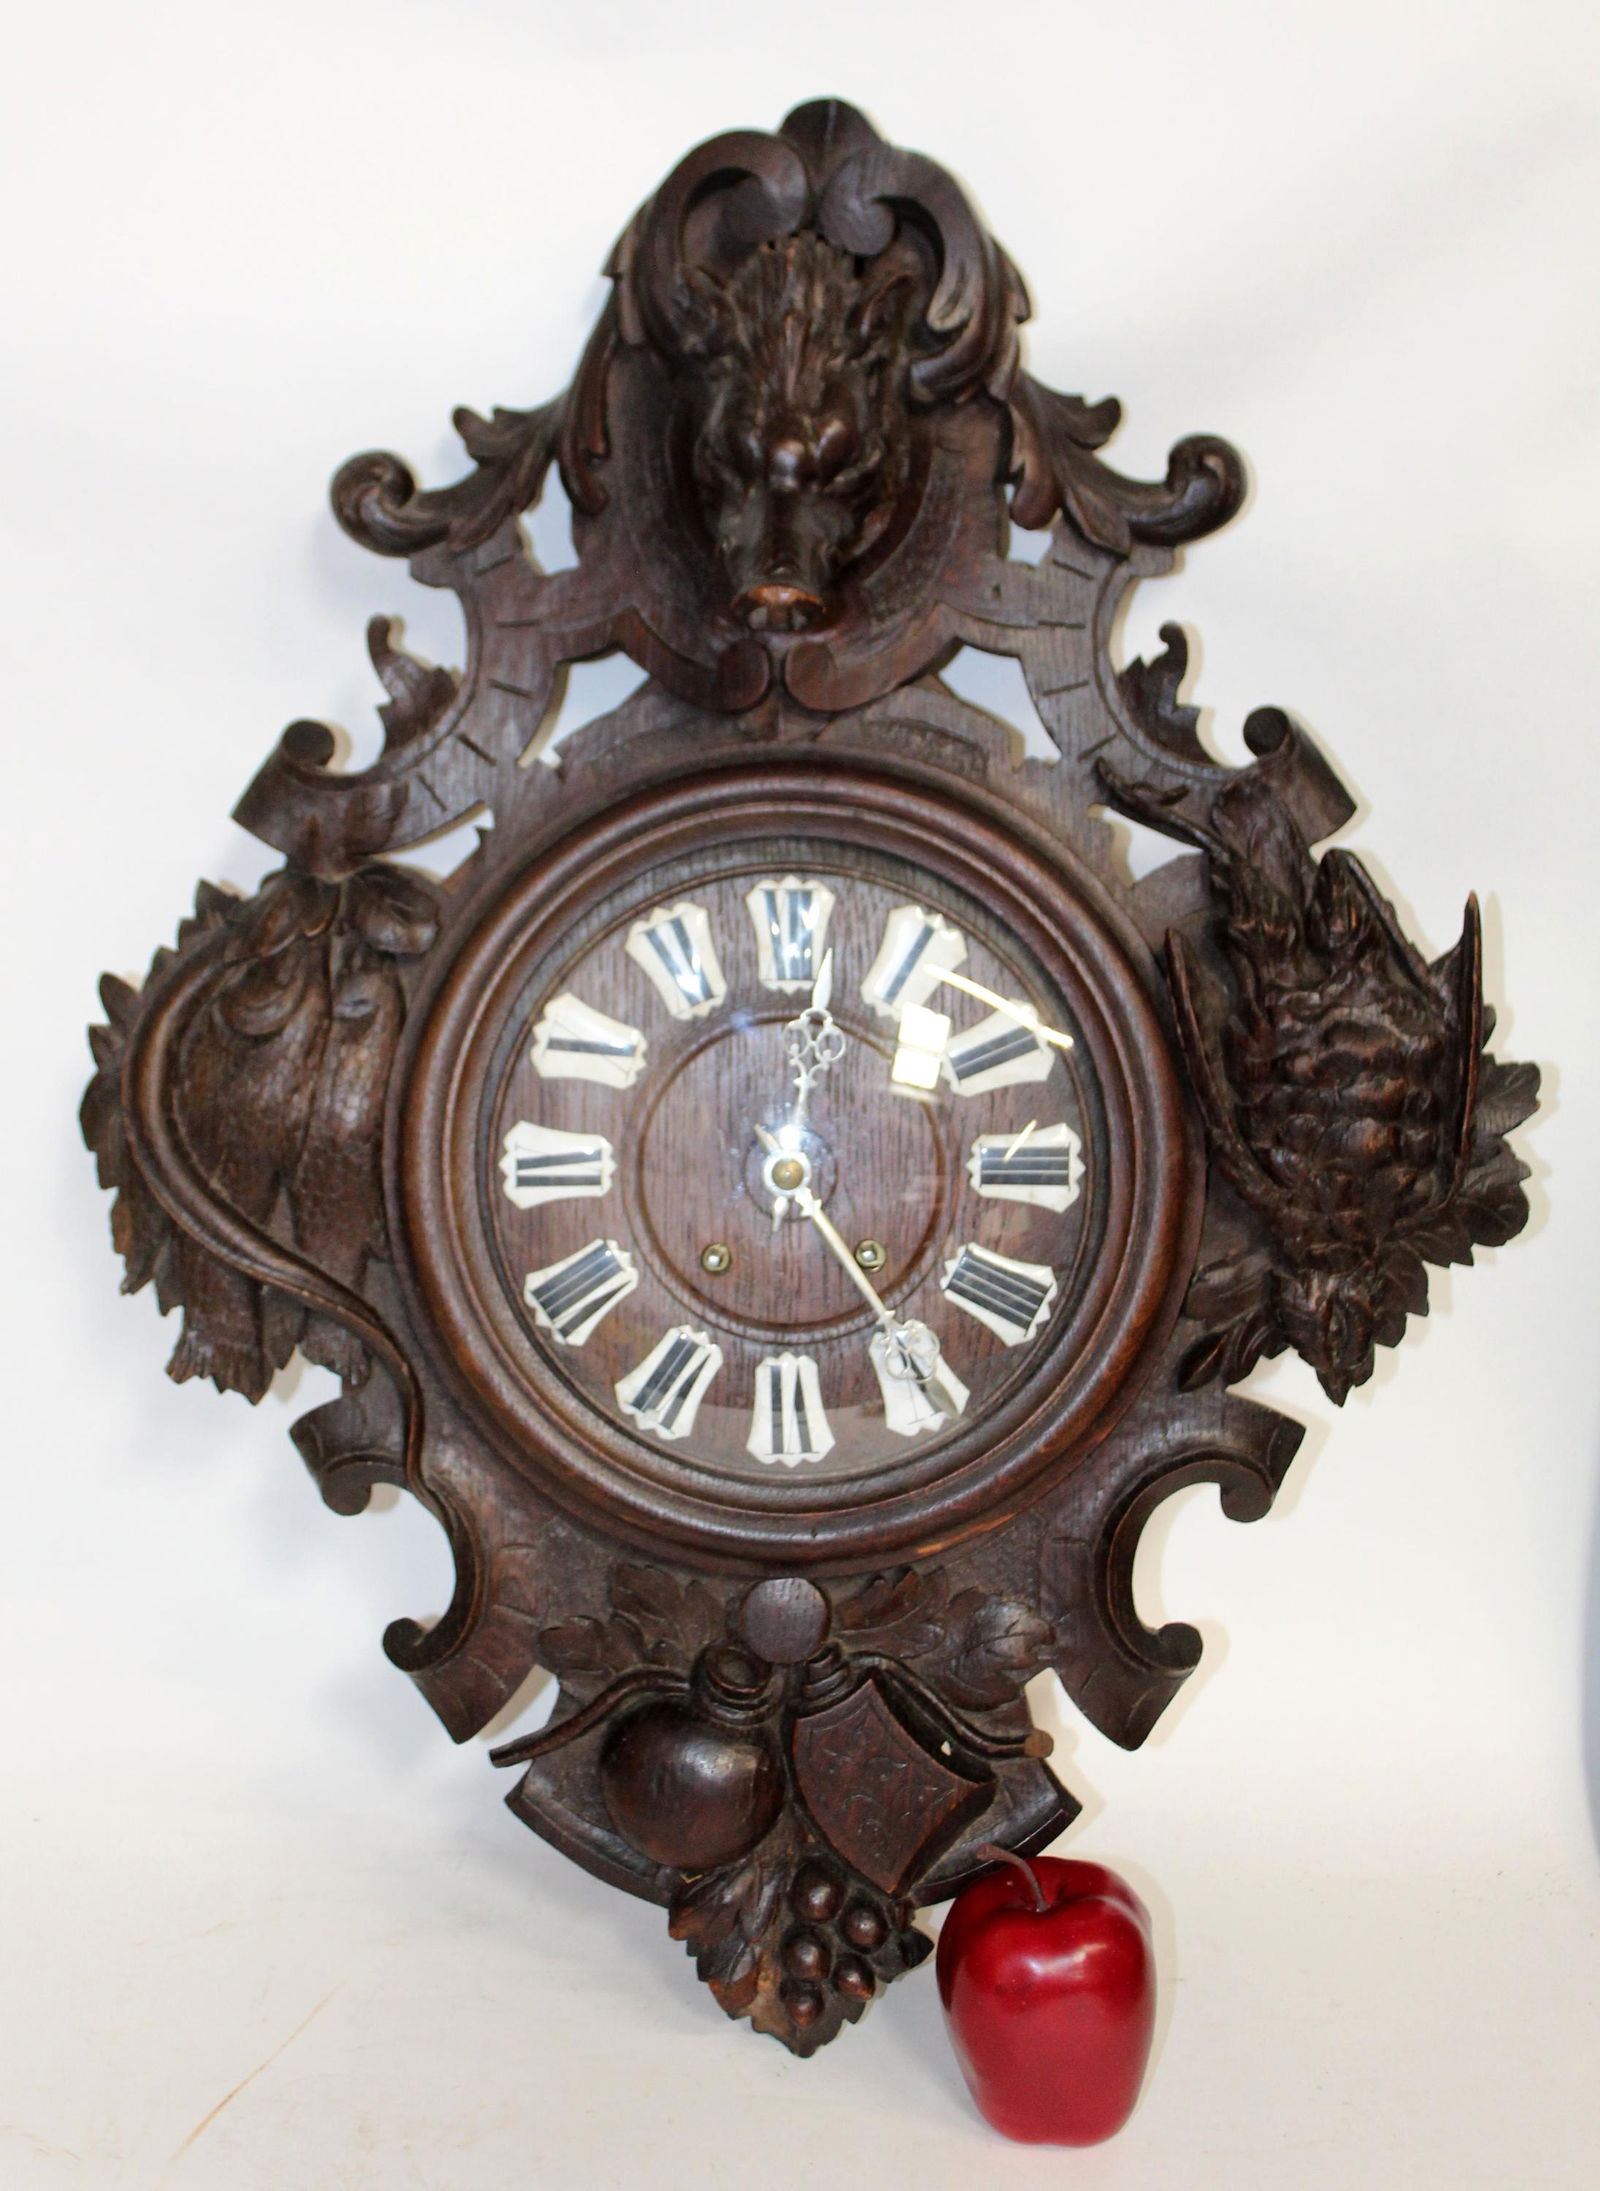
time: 12:24
